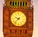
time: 9:37
